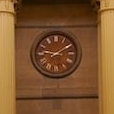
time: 9:09
